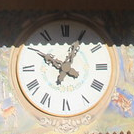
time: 10:03
